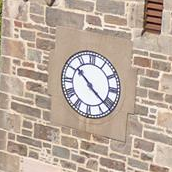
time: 10:21
